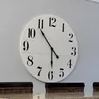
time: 5:53
